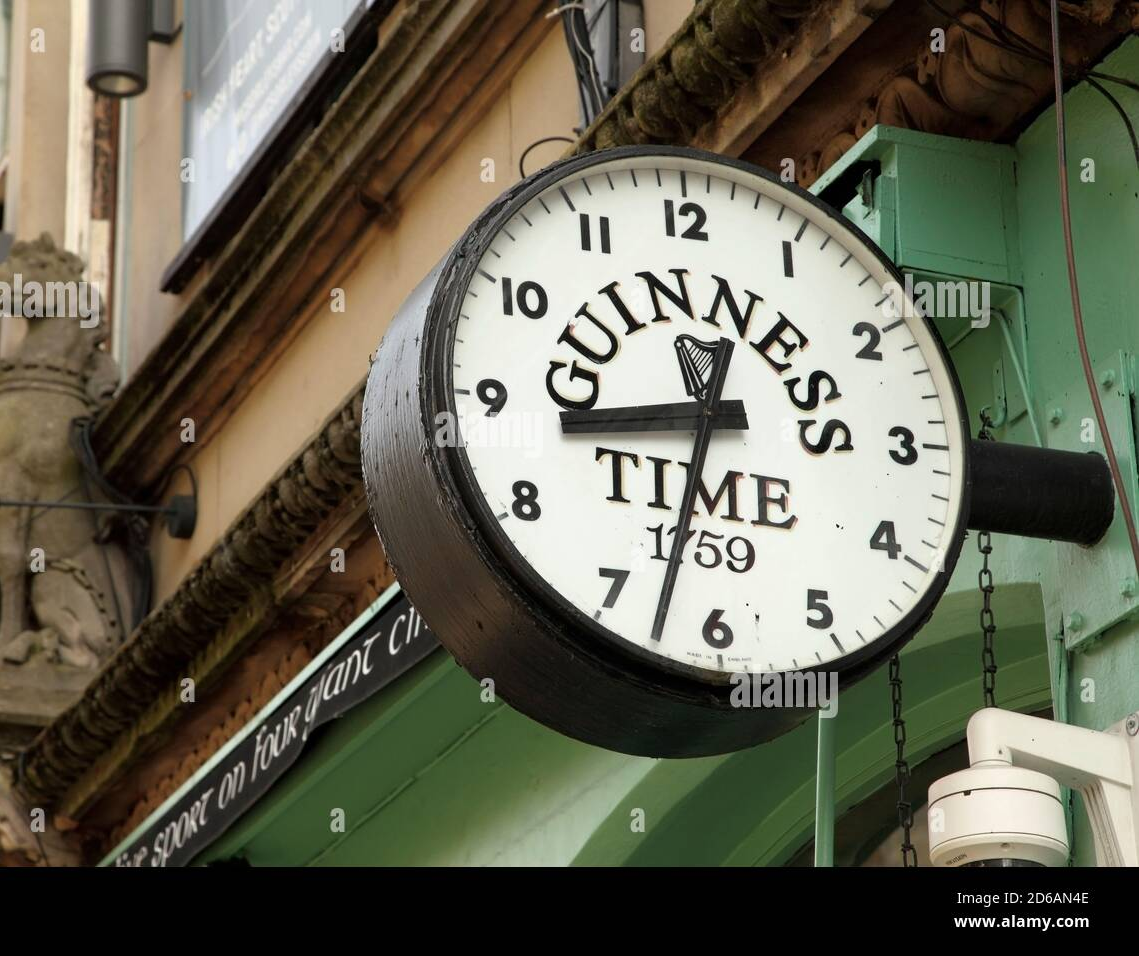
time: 8:32
